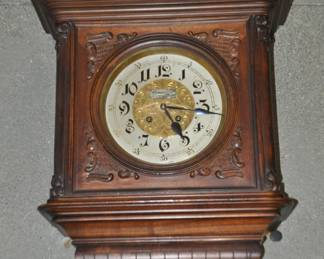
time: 5:15
